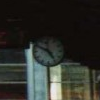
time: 4:49
